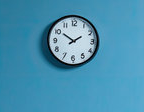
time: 1:50
